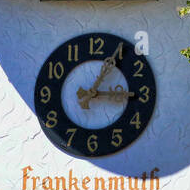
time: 3:04
